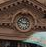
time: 2:48
